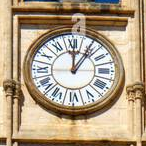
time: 12:05
